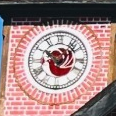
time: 10:07
